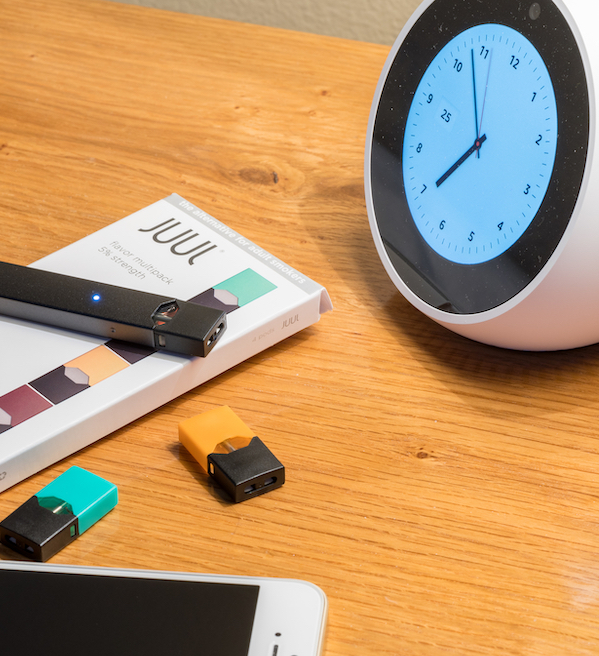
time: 7:57
